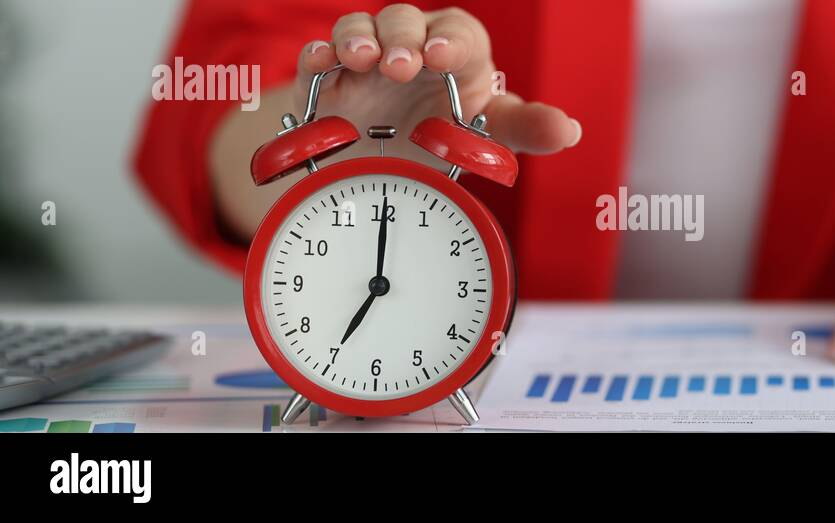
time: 7:00
